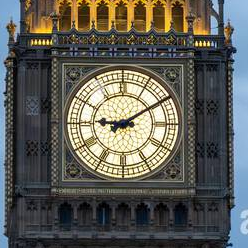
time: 9:09
